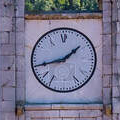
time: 1:43
